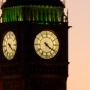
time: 4:20
